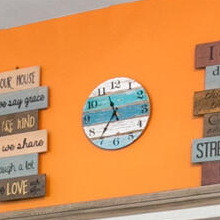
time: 11:35
